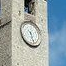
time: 10:28
